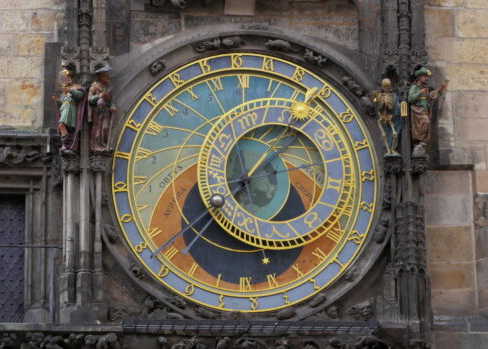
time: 1:37
